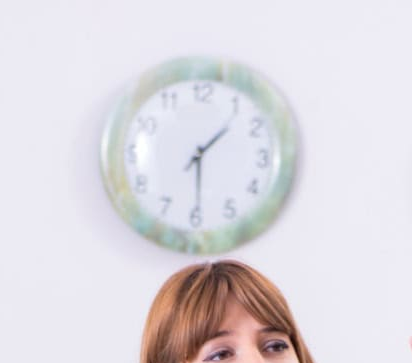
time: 1:29
